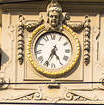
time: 4:35
